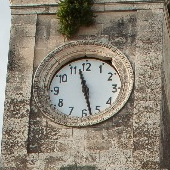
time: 11:27
